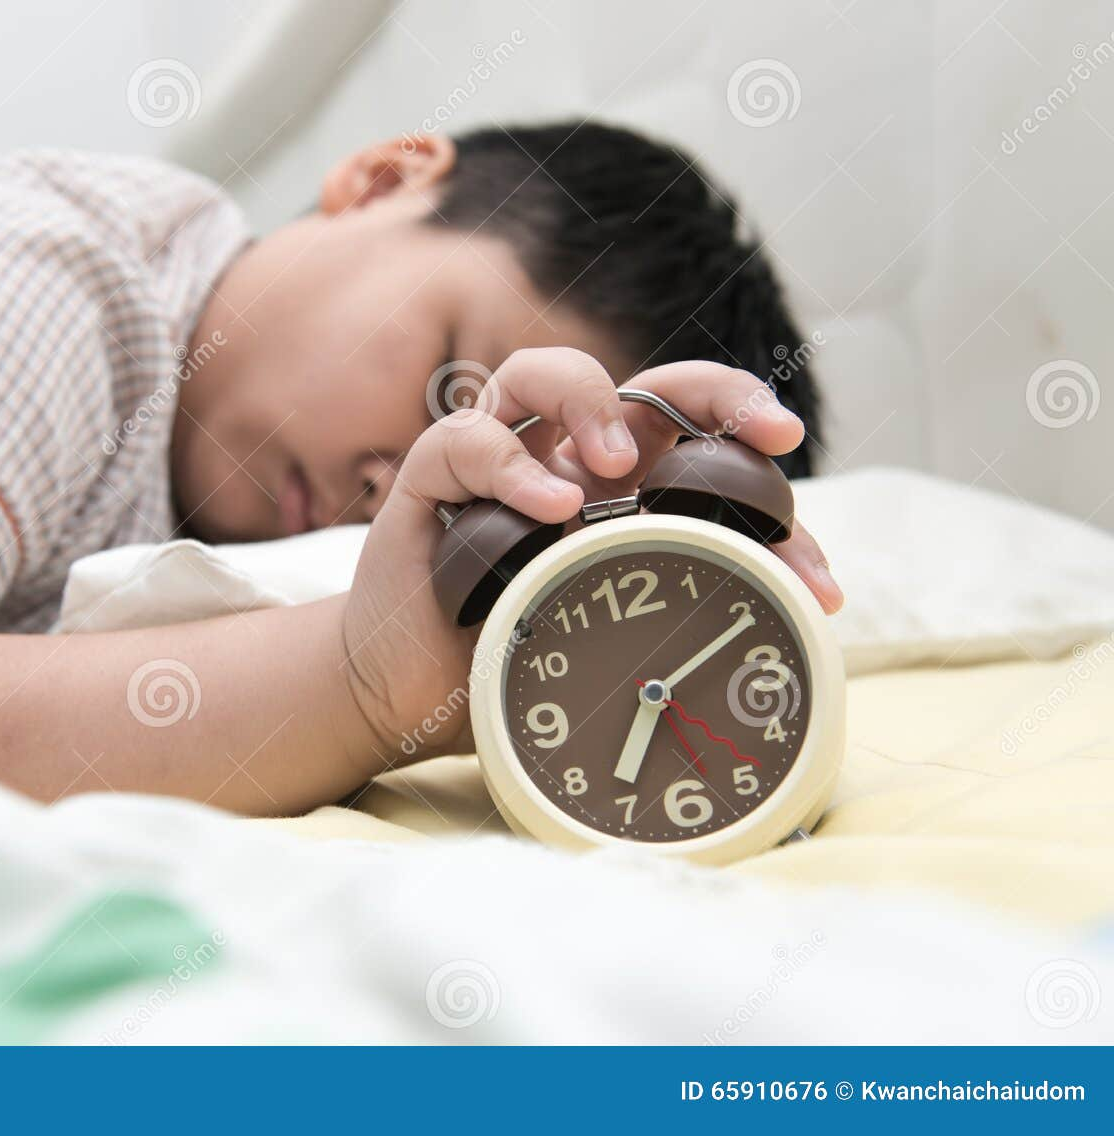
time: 7:10
